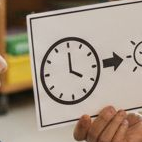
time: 3:59
